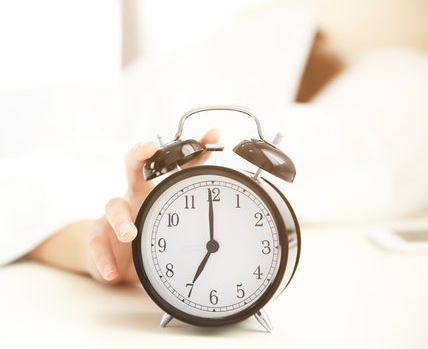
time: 7:00
